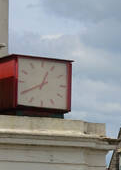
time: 12:39
